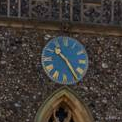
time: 10:24
